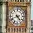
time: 4:41
